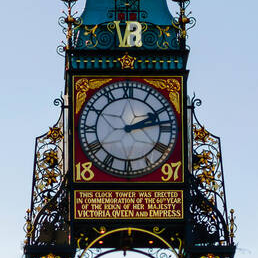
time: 2:13
